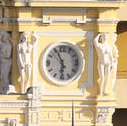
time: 5:55
